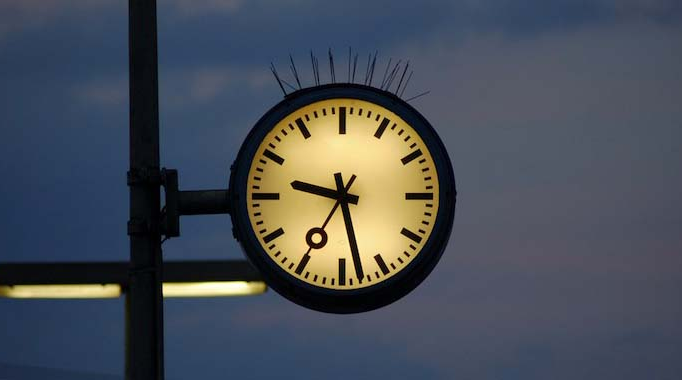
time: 9:28
